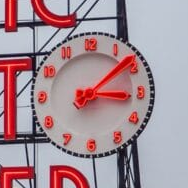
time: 3:08
